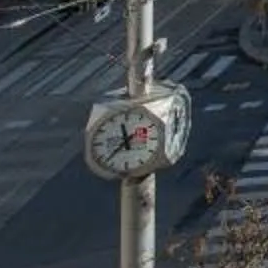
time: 11:37
